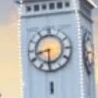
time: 8:30
